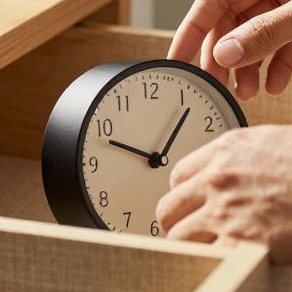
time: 12:48
